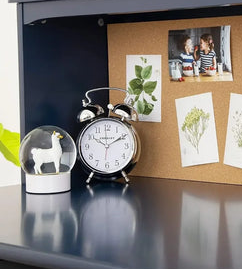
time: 10:10
